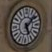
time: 5:07
